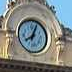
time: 8:04
